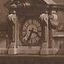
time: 3:34
